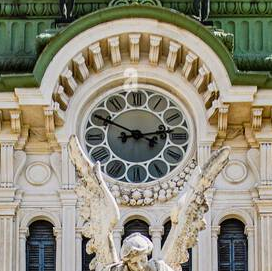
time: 2:49
